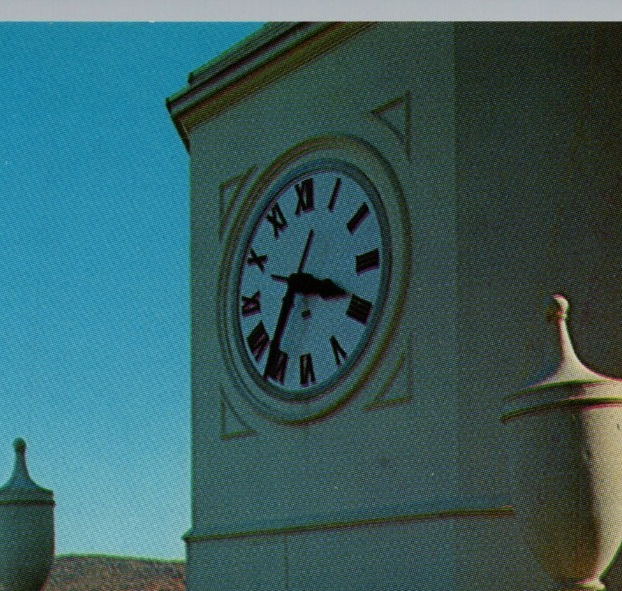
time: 3:36
